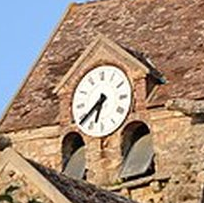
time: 6:38
